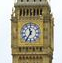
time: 11:35
